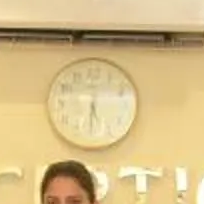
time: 5:31
